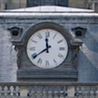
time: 11:39
